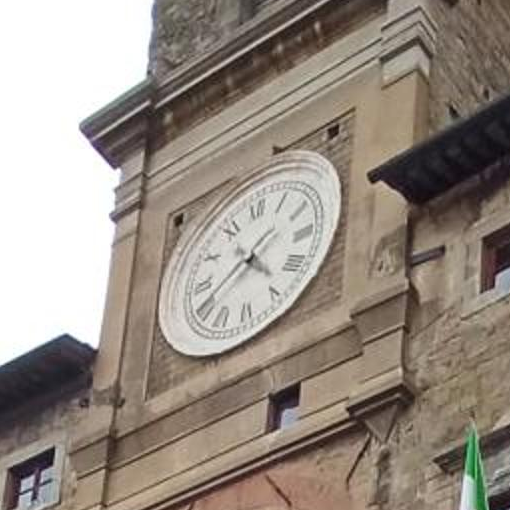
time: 4:40
